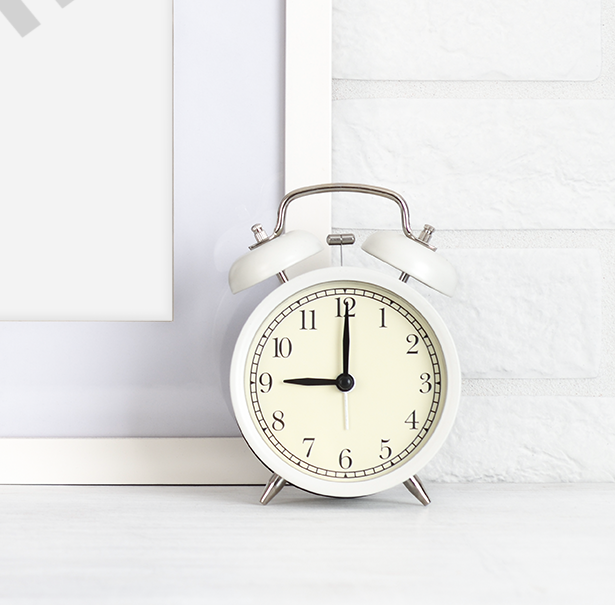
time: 9:00
